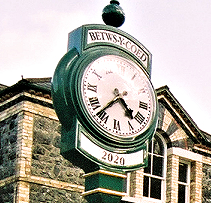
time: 4:37
